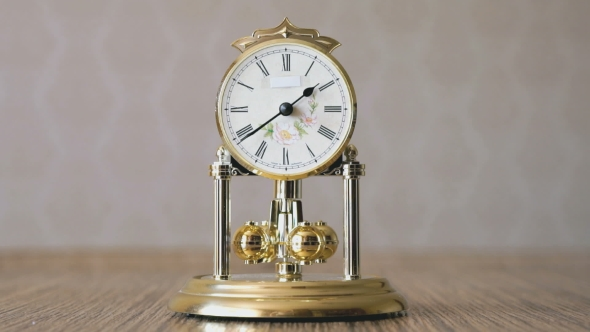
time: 1:39
